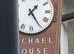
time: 1:24
